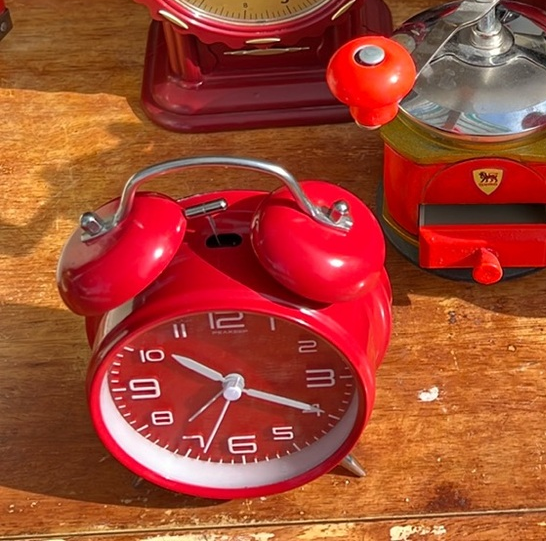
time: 10:19
